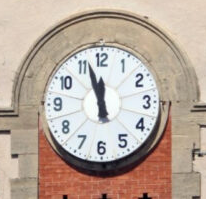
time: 11:56
